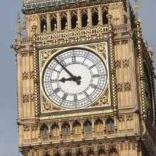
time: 8:53
